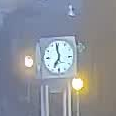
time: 6:58
